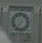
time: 7:03
